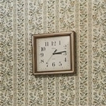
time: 3:13
